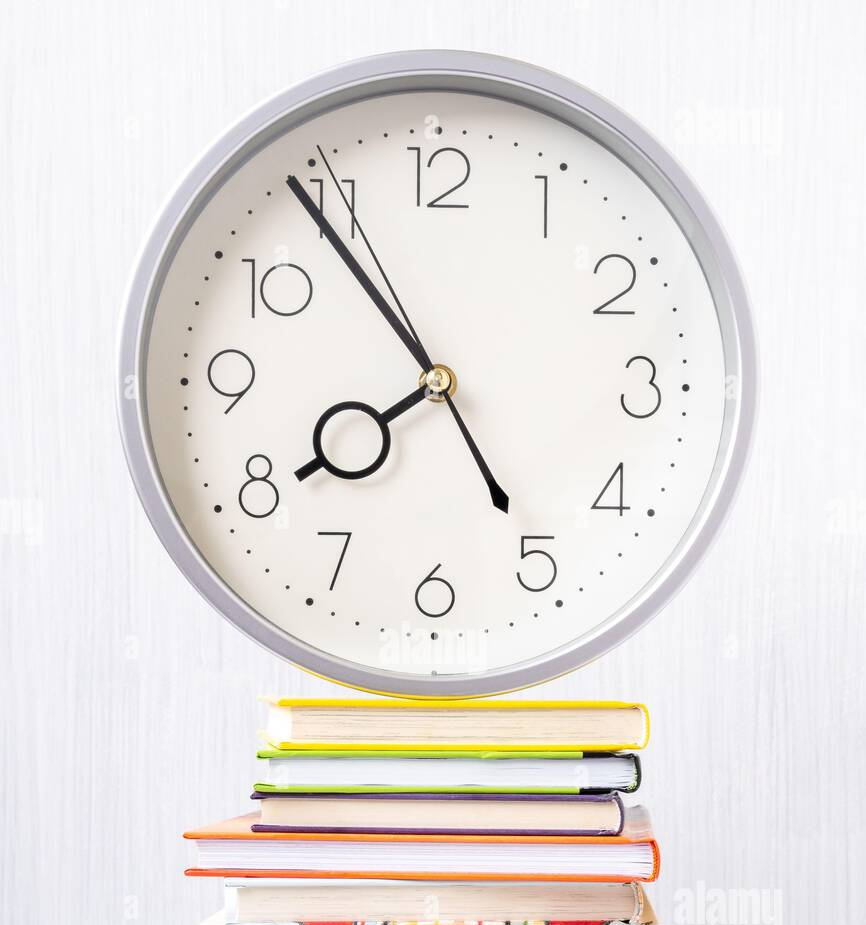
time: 7:54
